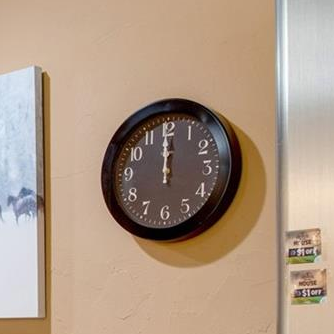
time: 11:59
